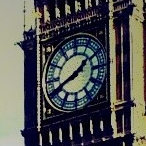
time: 1:41
